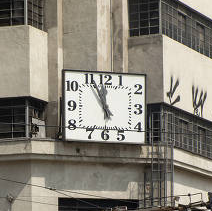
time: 11:55
